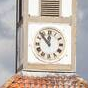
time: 11:53
